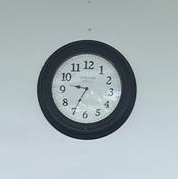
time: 9:34
